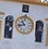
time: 10:42
